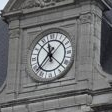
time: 11:37
